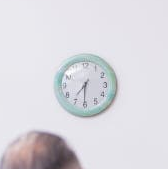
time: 7:30
